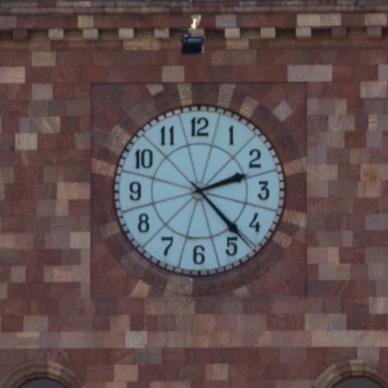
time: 2:22
